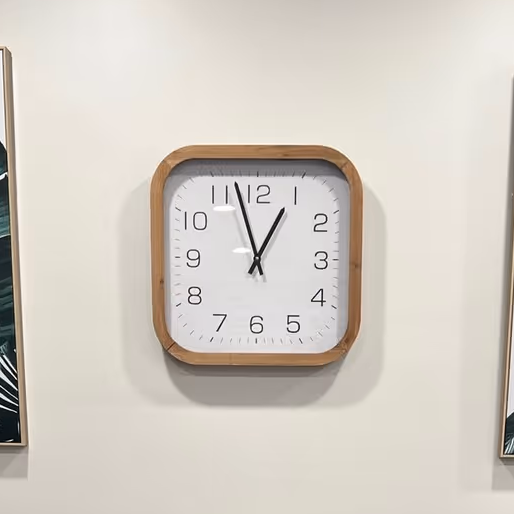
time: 12:57
